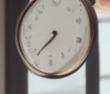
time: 7:37
